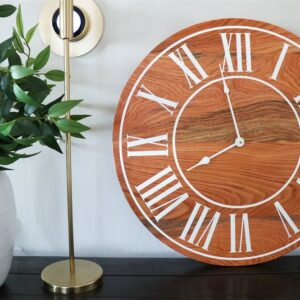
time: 7:58
